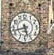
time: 5:42
